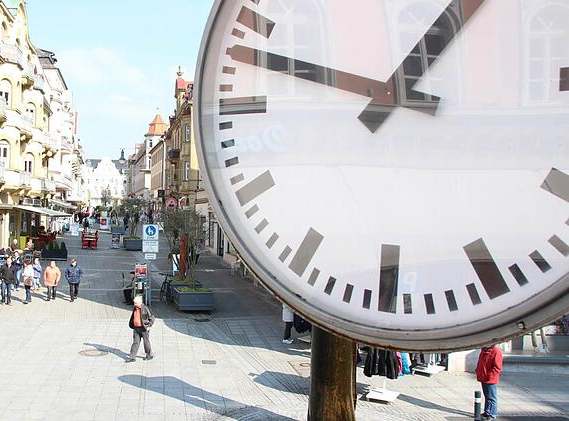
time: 12:48
